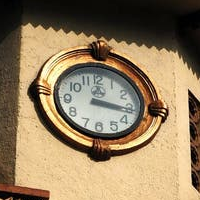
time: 3:16
